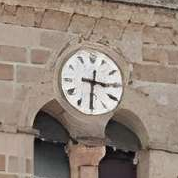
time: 3:30
